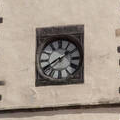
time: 1:39
